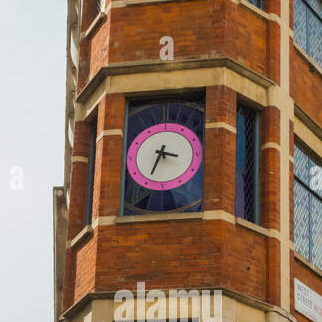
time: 3:34
